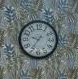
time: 9:35
